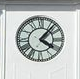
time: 4:07
